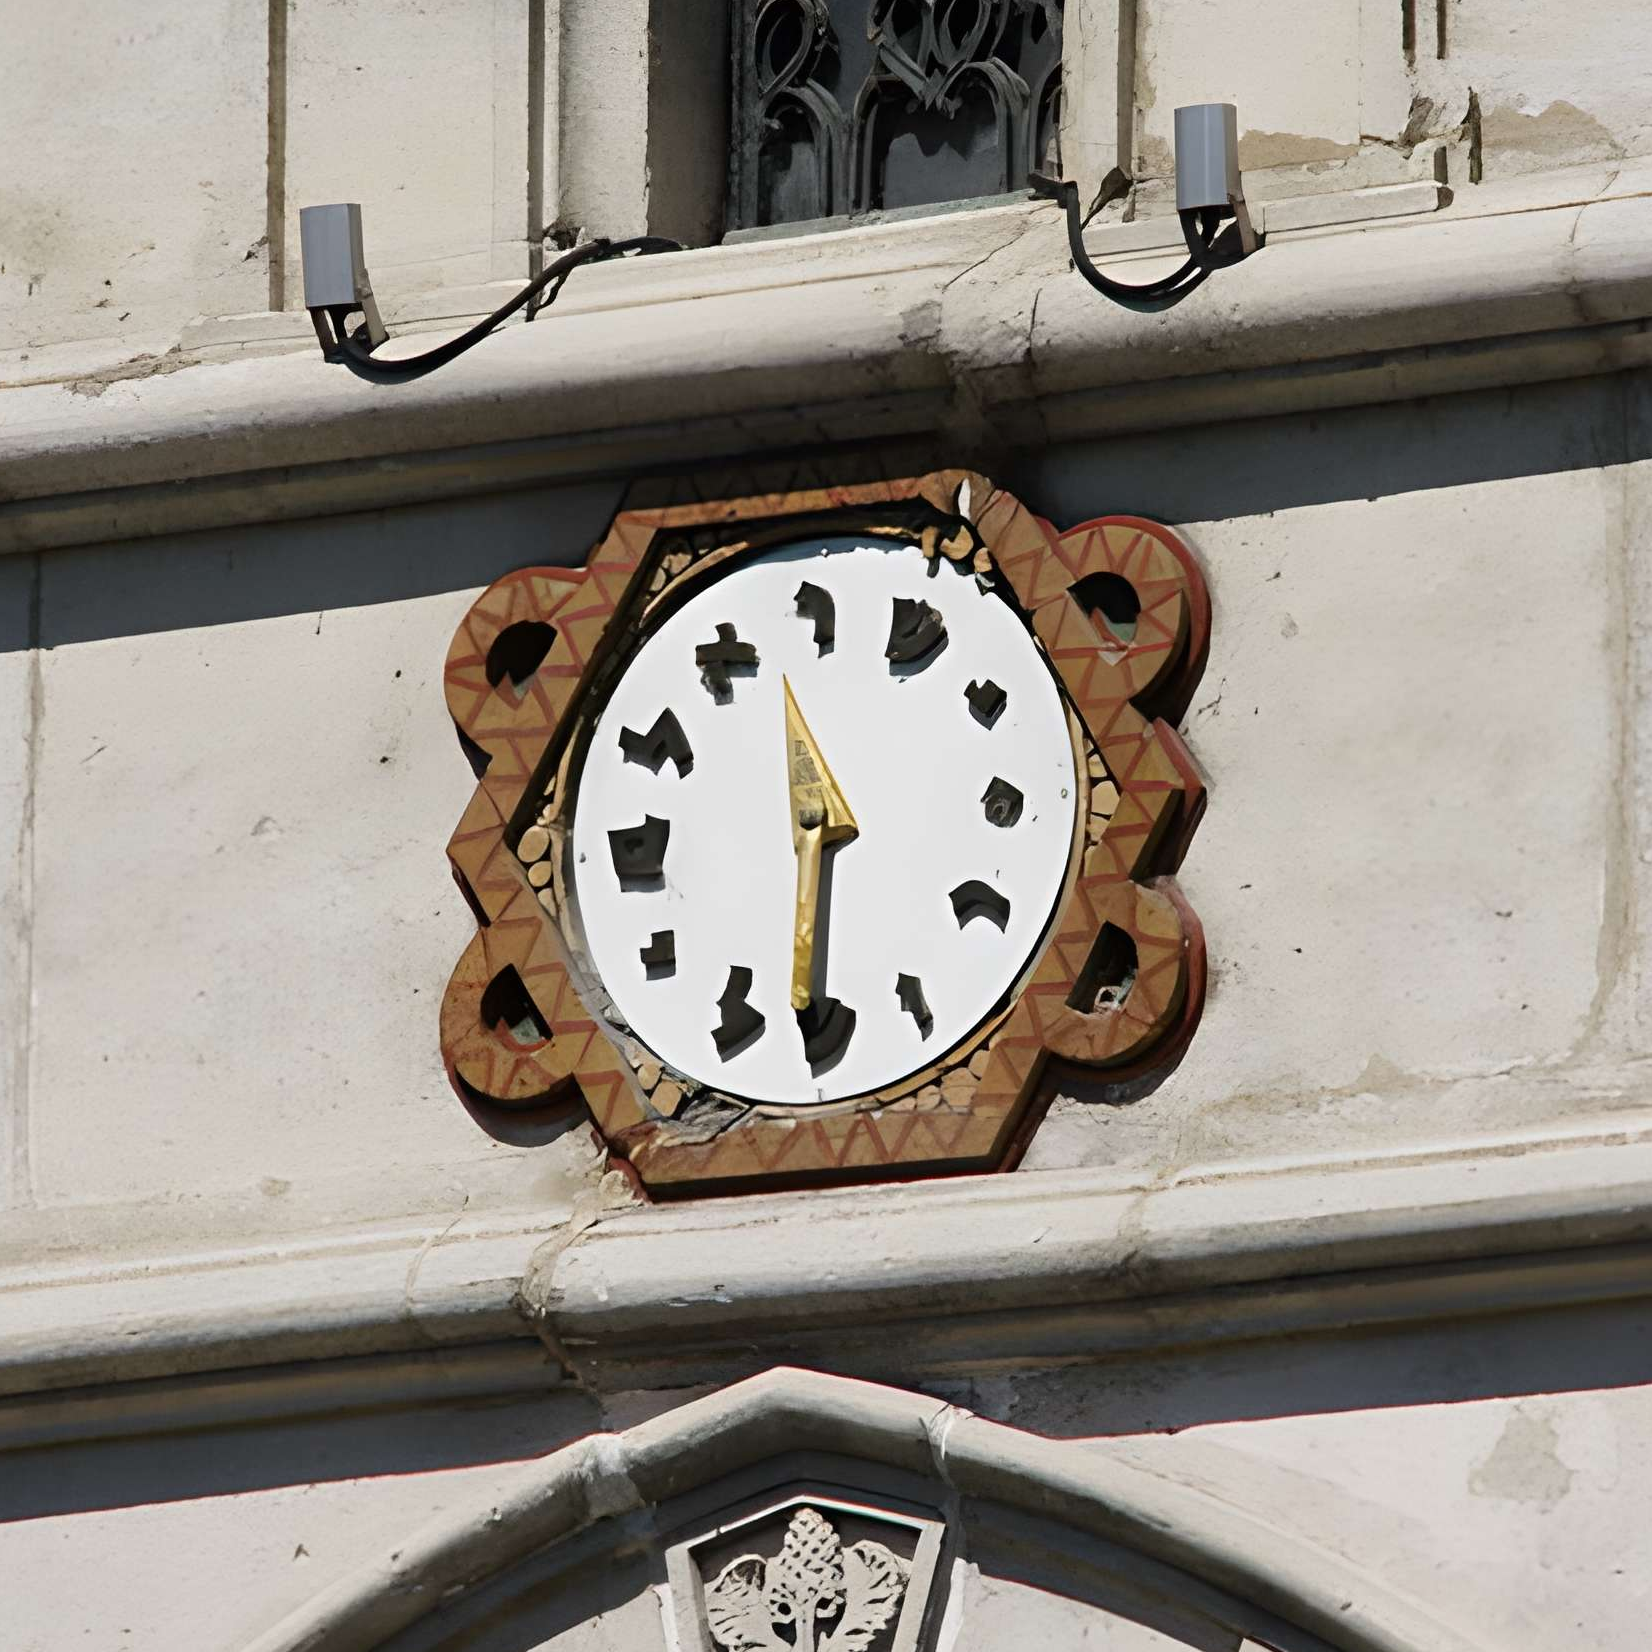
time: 11:30
